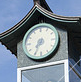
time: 7:34
